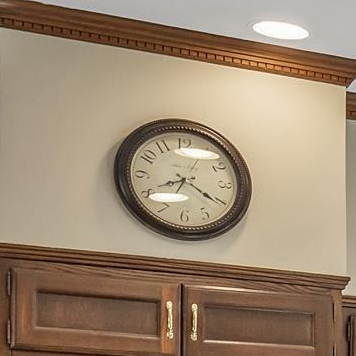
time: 8:20
